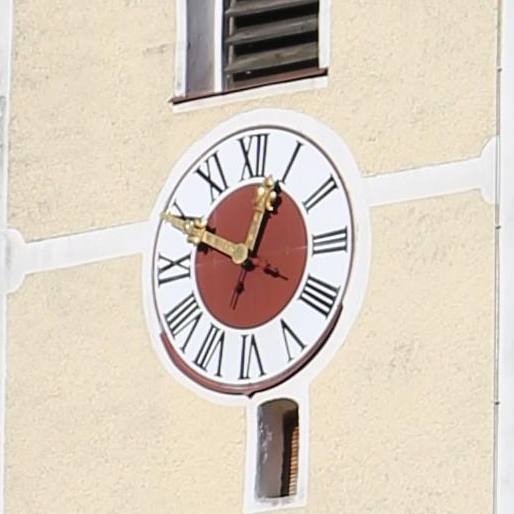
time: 12:49
